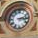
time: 3:12
